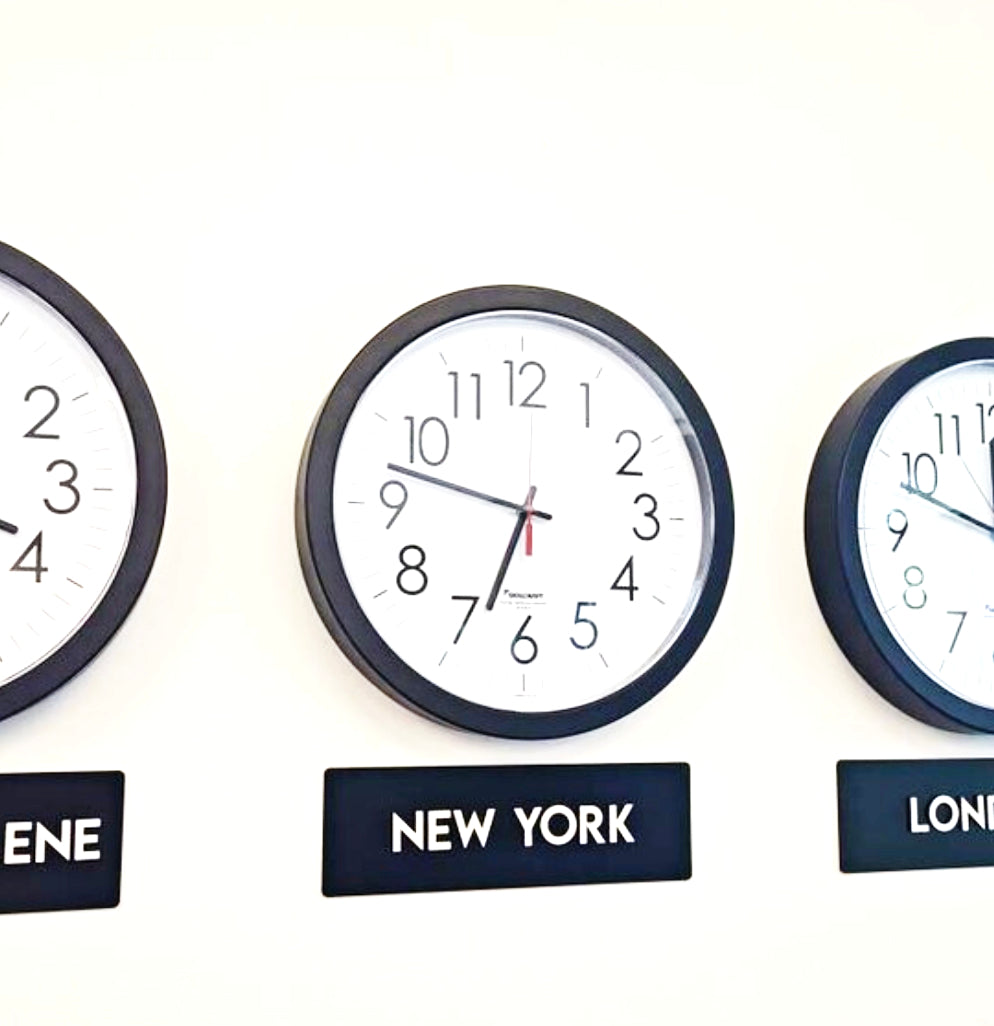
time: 6:47
